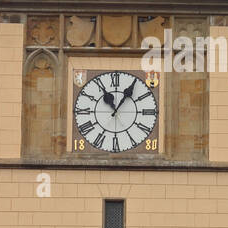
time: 11:05
